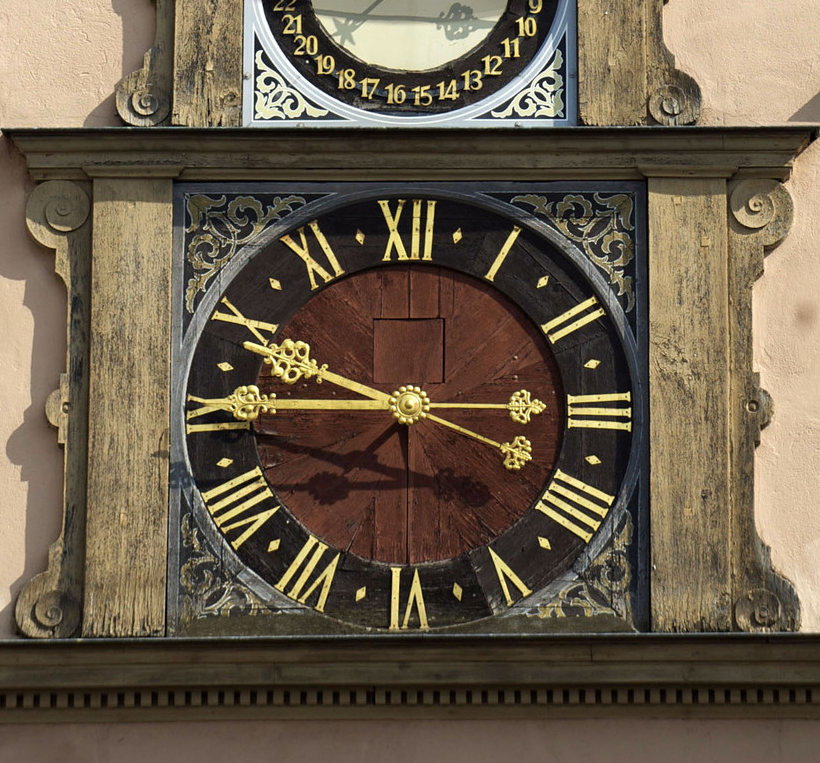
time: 9:45
